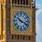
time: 10:18
